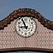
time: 8:56
